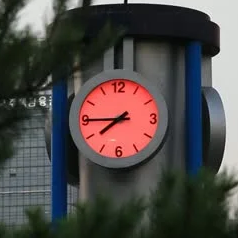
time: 7:44
